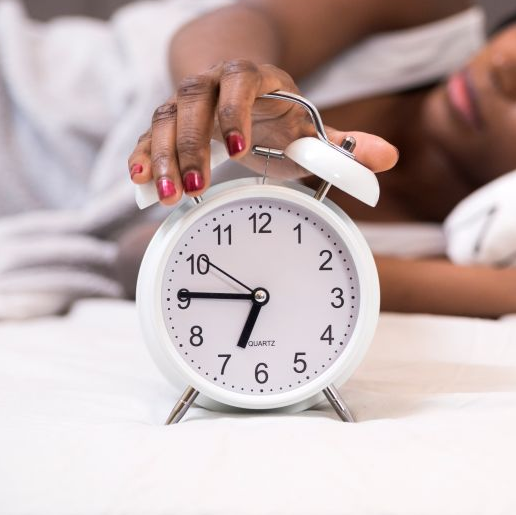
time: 6:45
